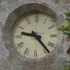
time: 9:23
